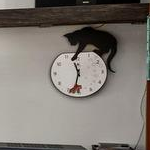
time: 11:32
